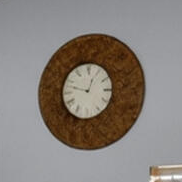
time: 12:47
